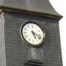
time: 5:18
